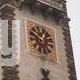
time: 12:49
